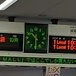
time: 10:30
